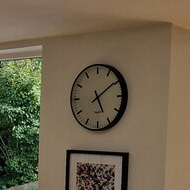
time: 5:09
